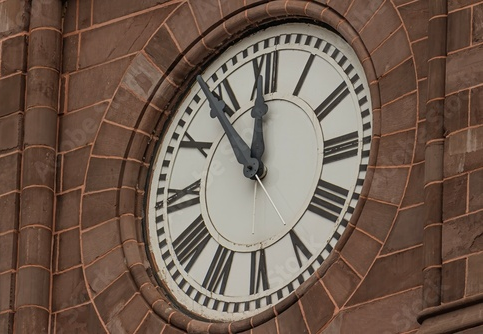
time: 11:53
